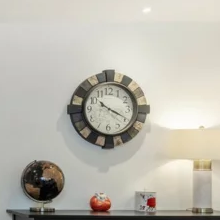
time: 10:19
